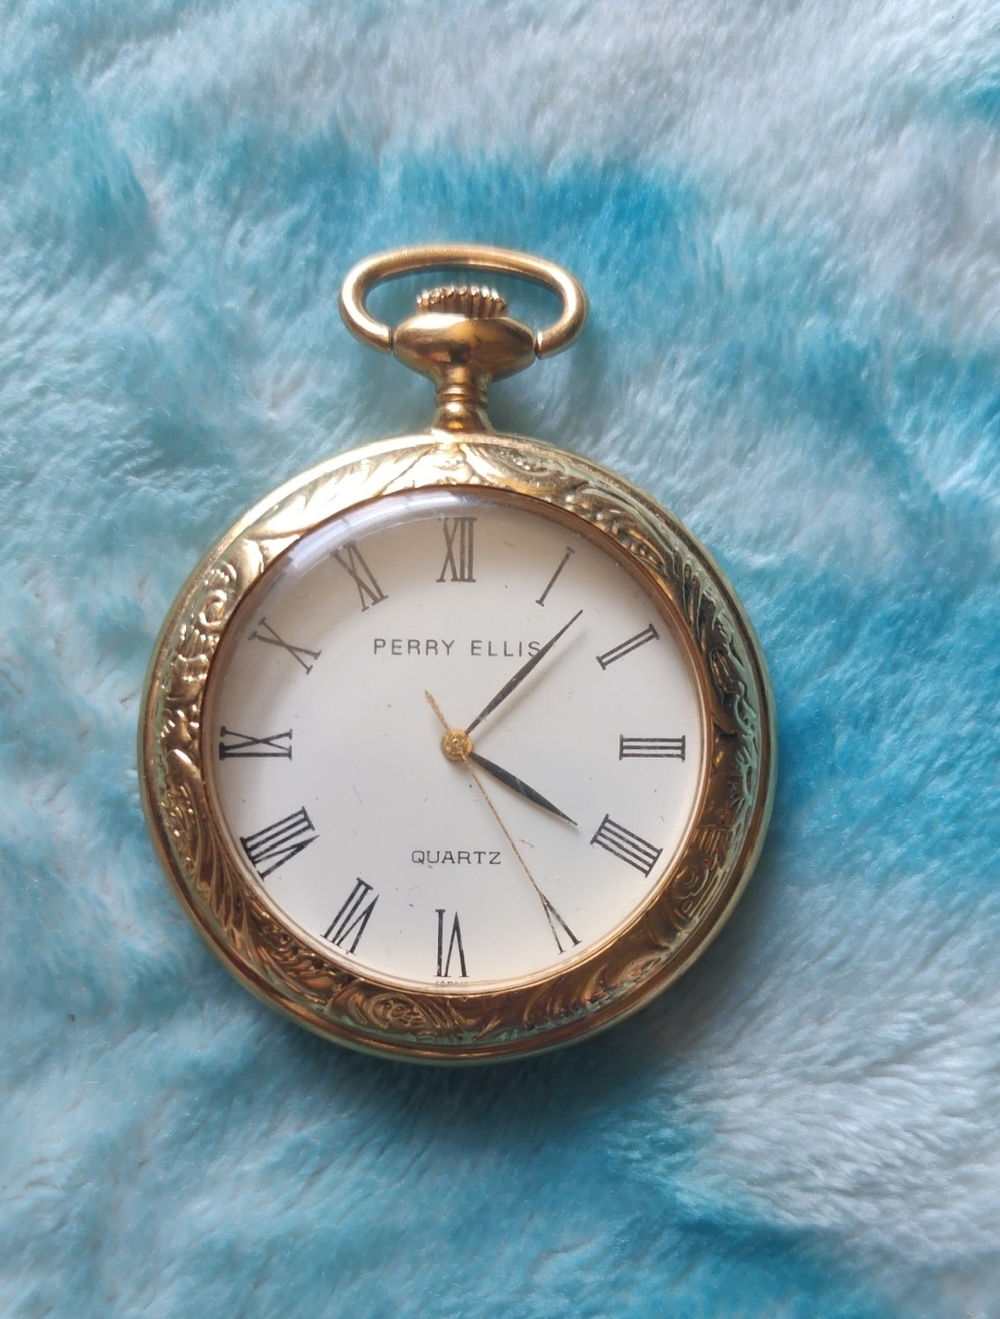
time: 4:07
